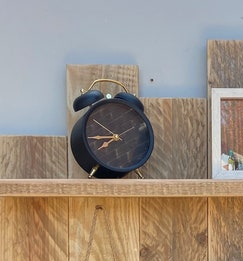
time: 7:43
